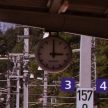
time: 3:00
